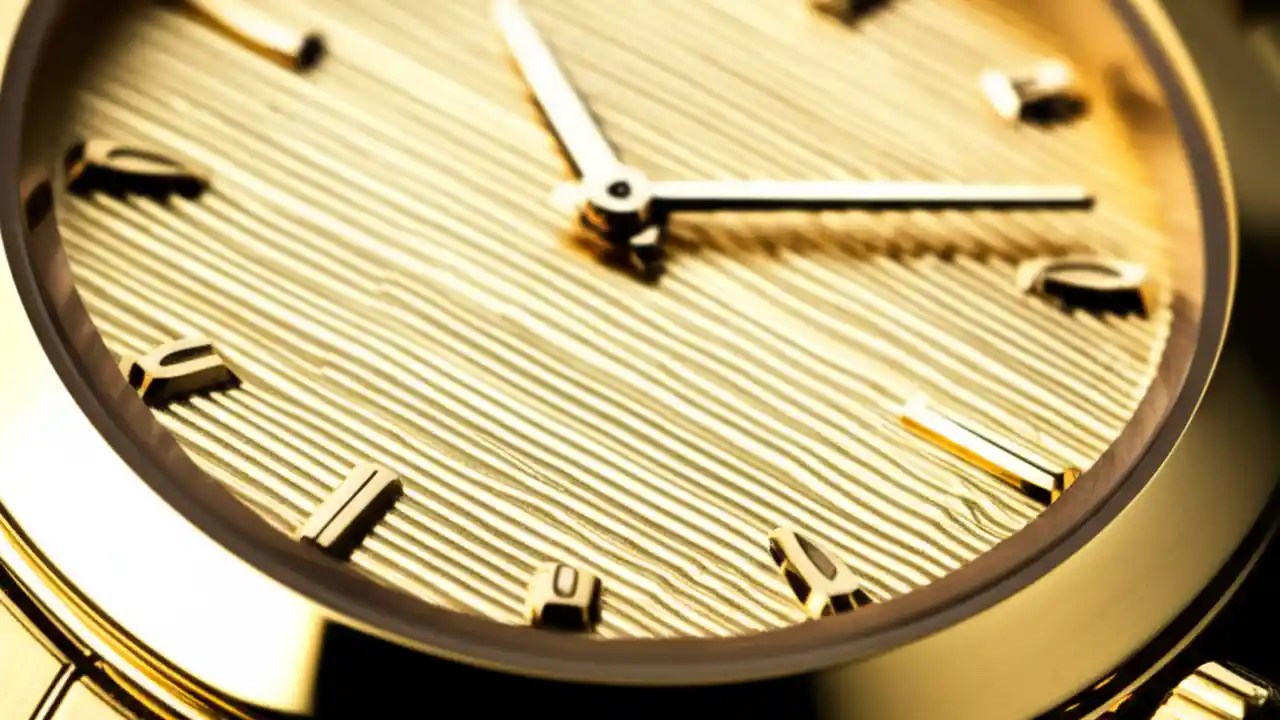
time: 11:13
